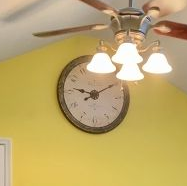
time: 9:10
